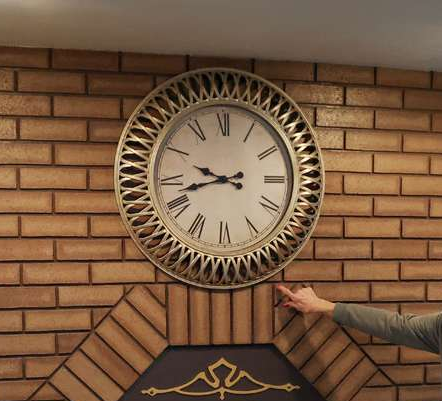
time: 9:42
